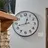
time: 12:42
